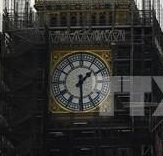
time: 1:29
